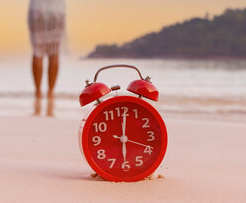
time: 6:01
